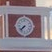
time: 7:37
